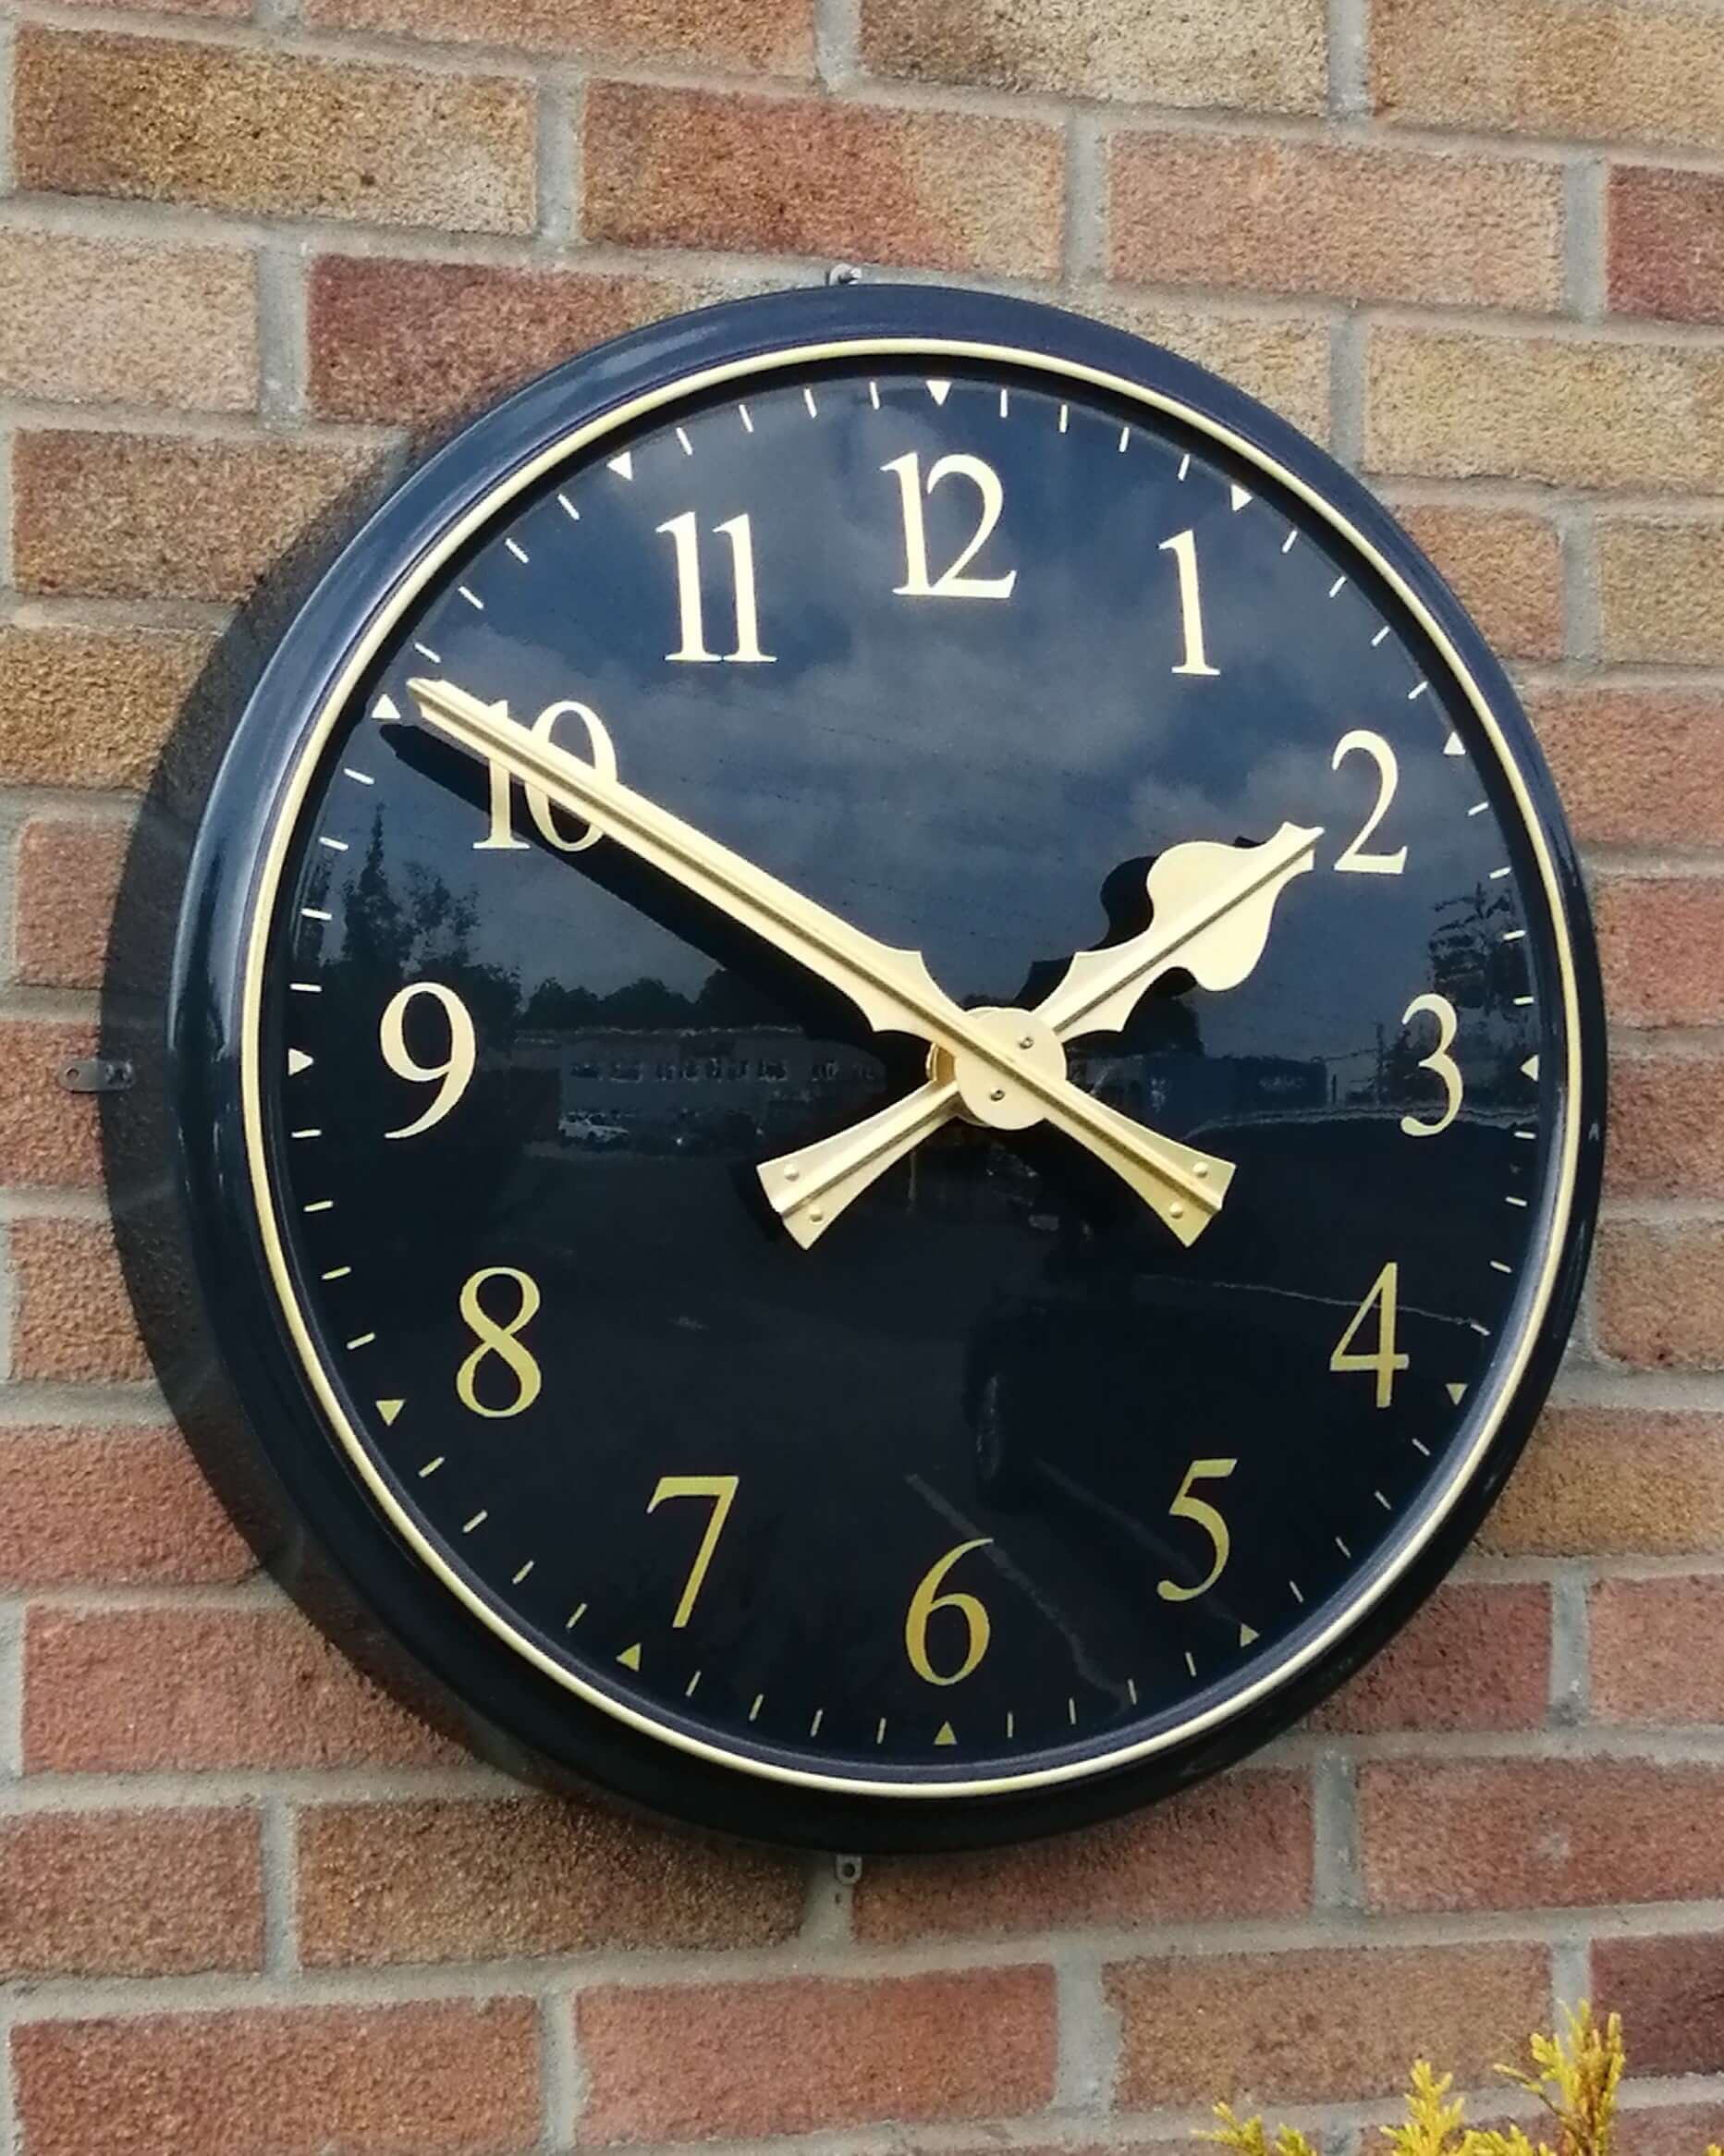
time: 1:50
